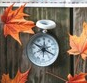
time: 12:19
